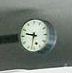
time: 9:32
